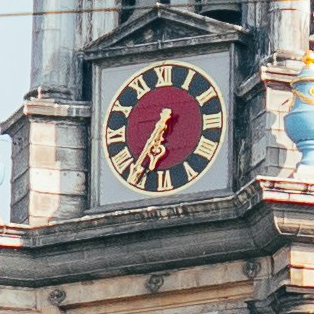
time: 6:35
